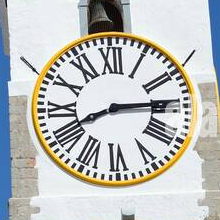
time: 8:14
